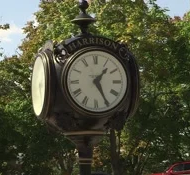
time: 1:25
